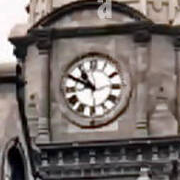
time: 10:49
